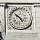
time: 4:52
